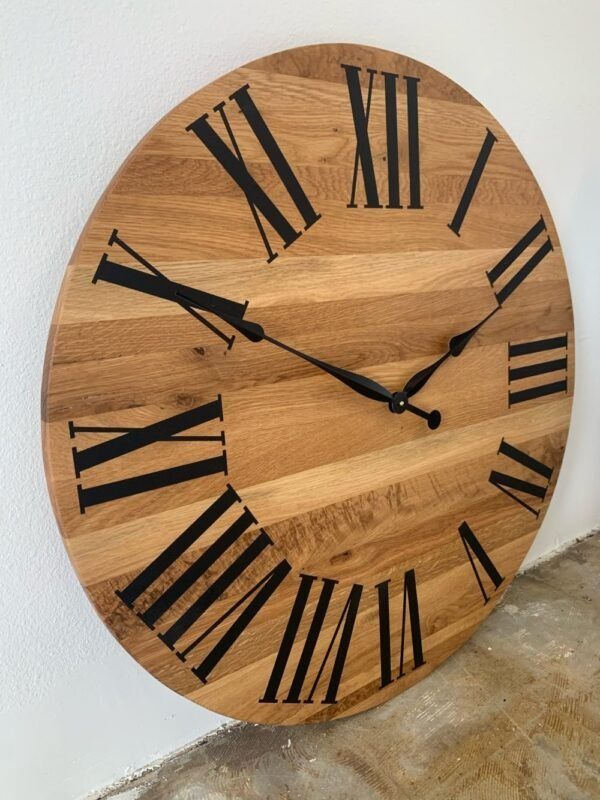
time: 1:50
